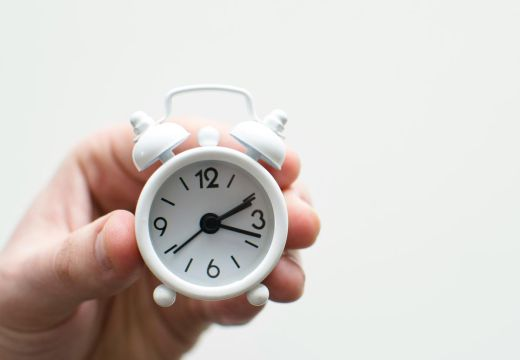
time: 2:18
